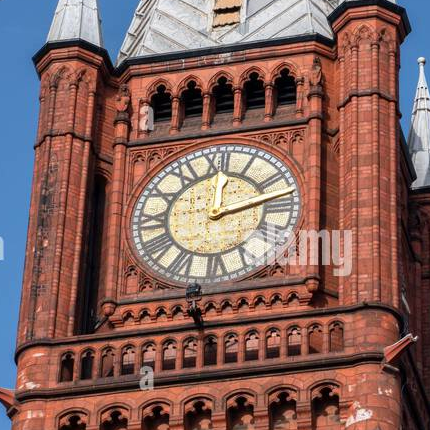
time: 12:13
